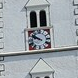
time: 9:51
